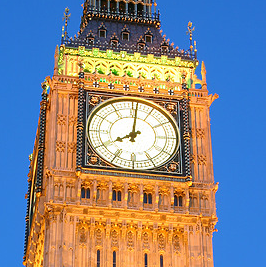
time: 8:01
